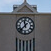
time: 11:37
